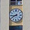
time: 8:40
